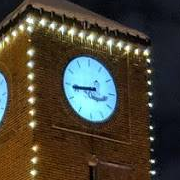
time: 8:44
